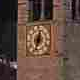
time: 12:33
